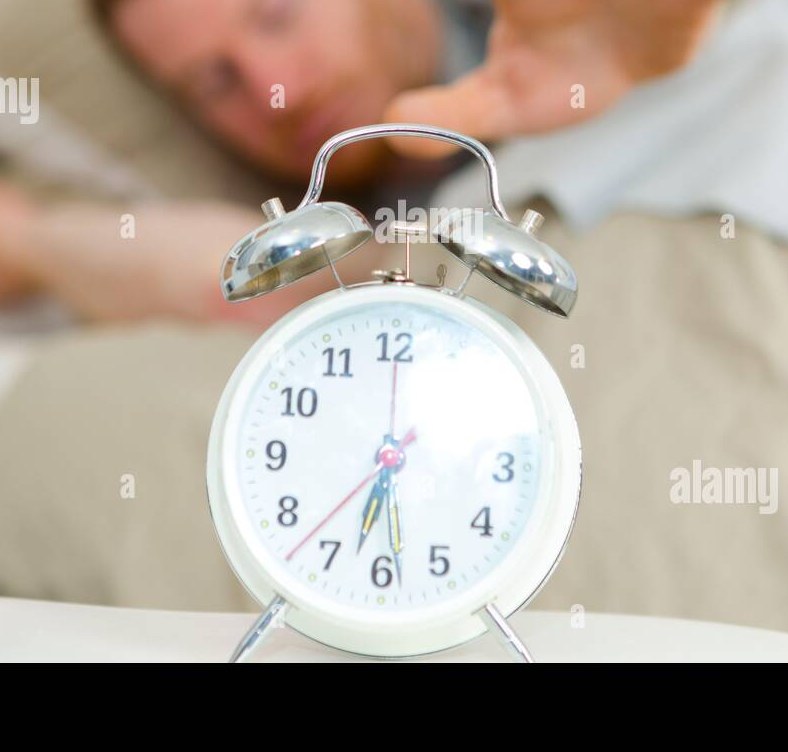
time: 6:36
